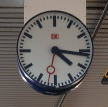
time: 4:16
